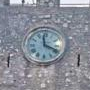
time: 3:58
